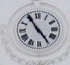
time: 4:54
